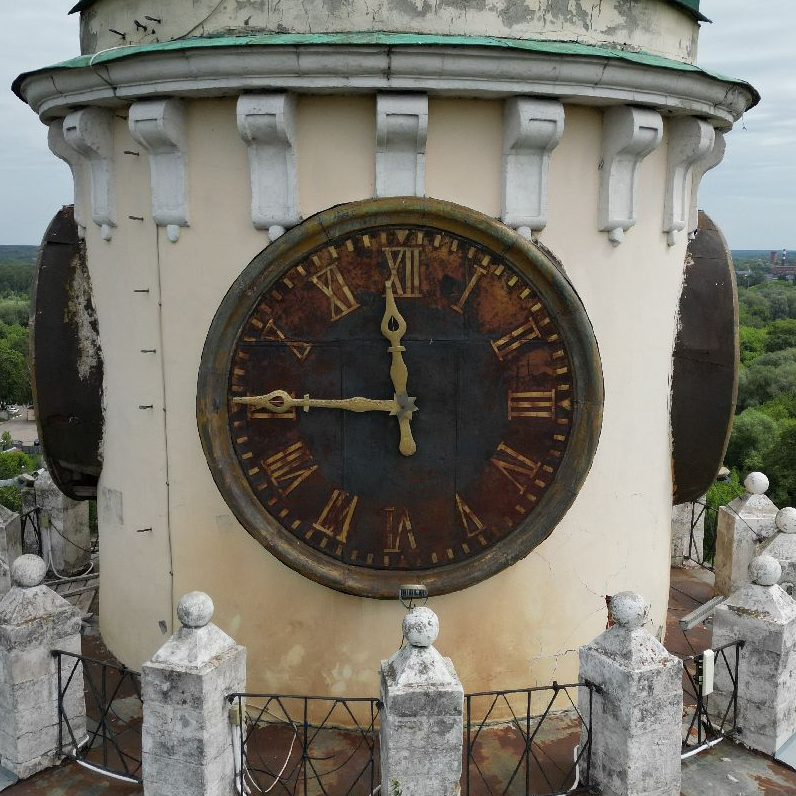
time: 11:45
